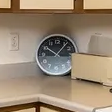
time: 10:06
